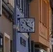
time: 11:21
